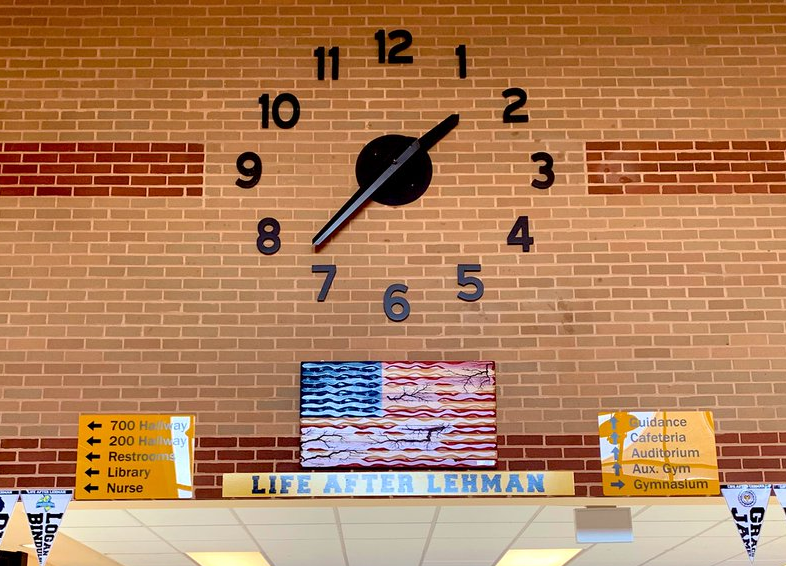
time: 1:37
